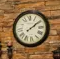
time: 2:09
